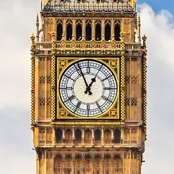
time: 12:56
